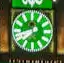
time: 8:38
